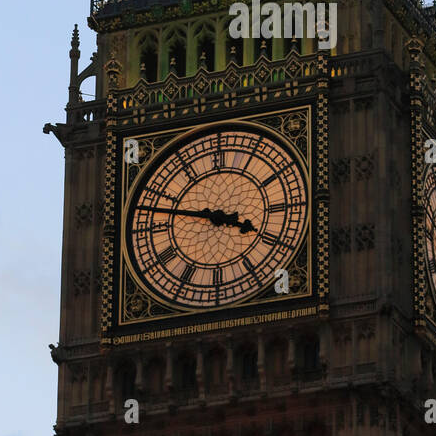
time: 3:47
